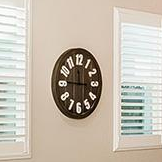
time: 11:46
